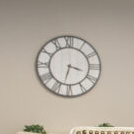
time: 3:32
